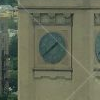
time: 1:38
